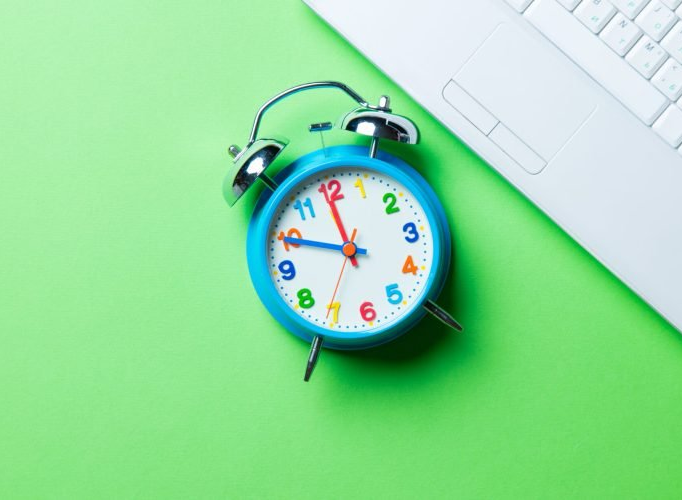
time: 11:49
